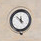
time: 11:52
